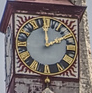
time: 1:59
